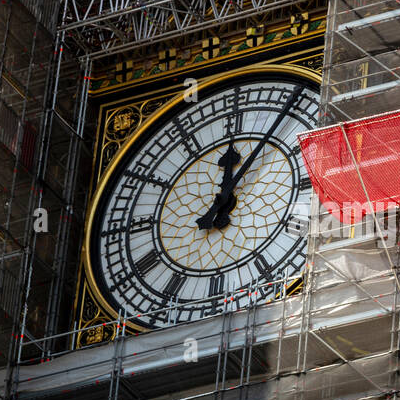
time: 12:06
